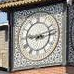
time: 9:12
